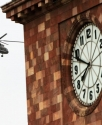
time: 7:48
